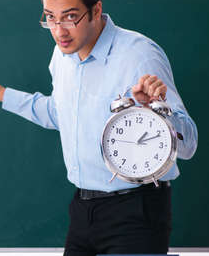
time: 1:11
